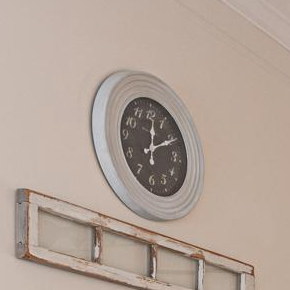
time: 12:10
